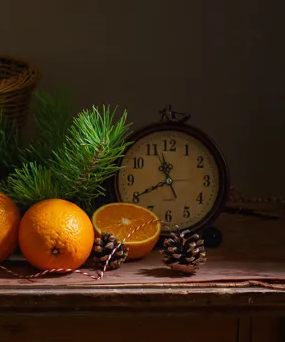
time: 11:40
